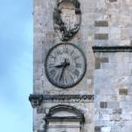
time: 8:33
